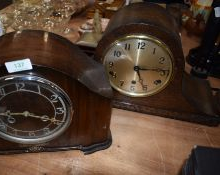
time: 5:14
